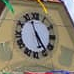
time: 4:57
